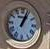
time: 1:03
